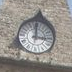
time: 3:00
